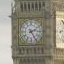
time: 2:24
